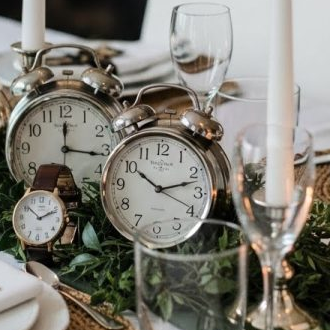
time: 10:12
